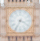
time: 3:34
